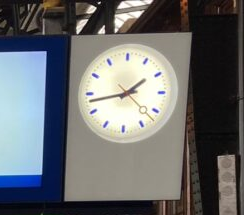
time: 1:43
